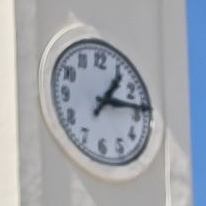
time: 1:13
